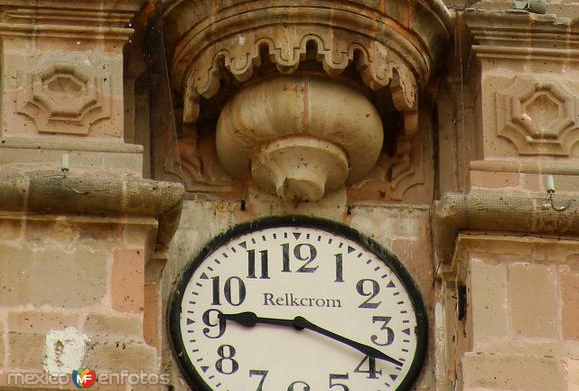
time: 9:18
